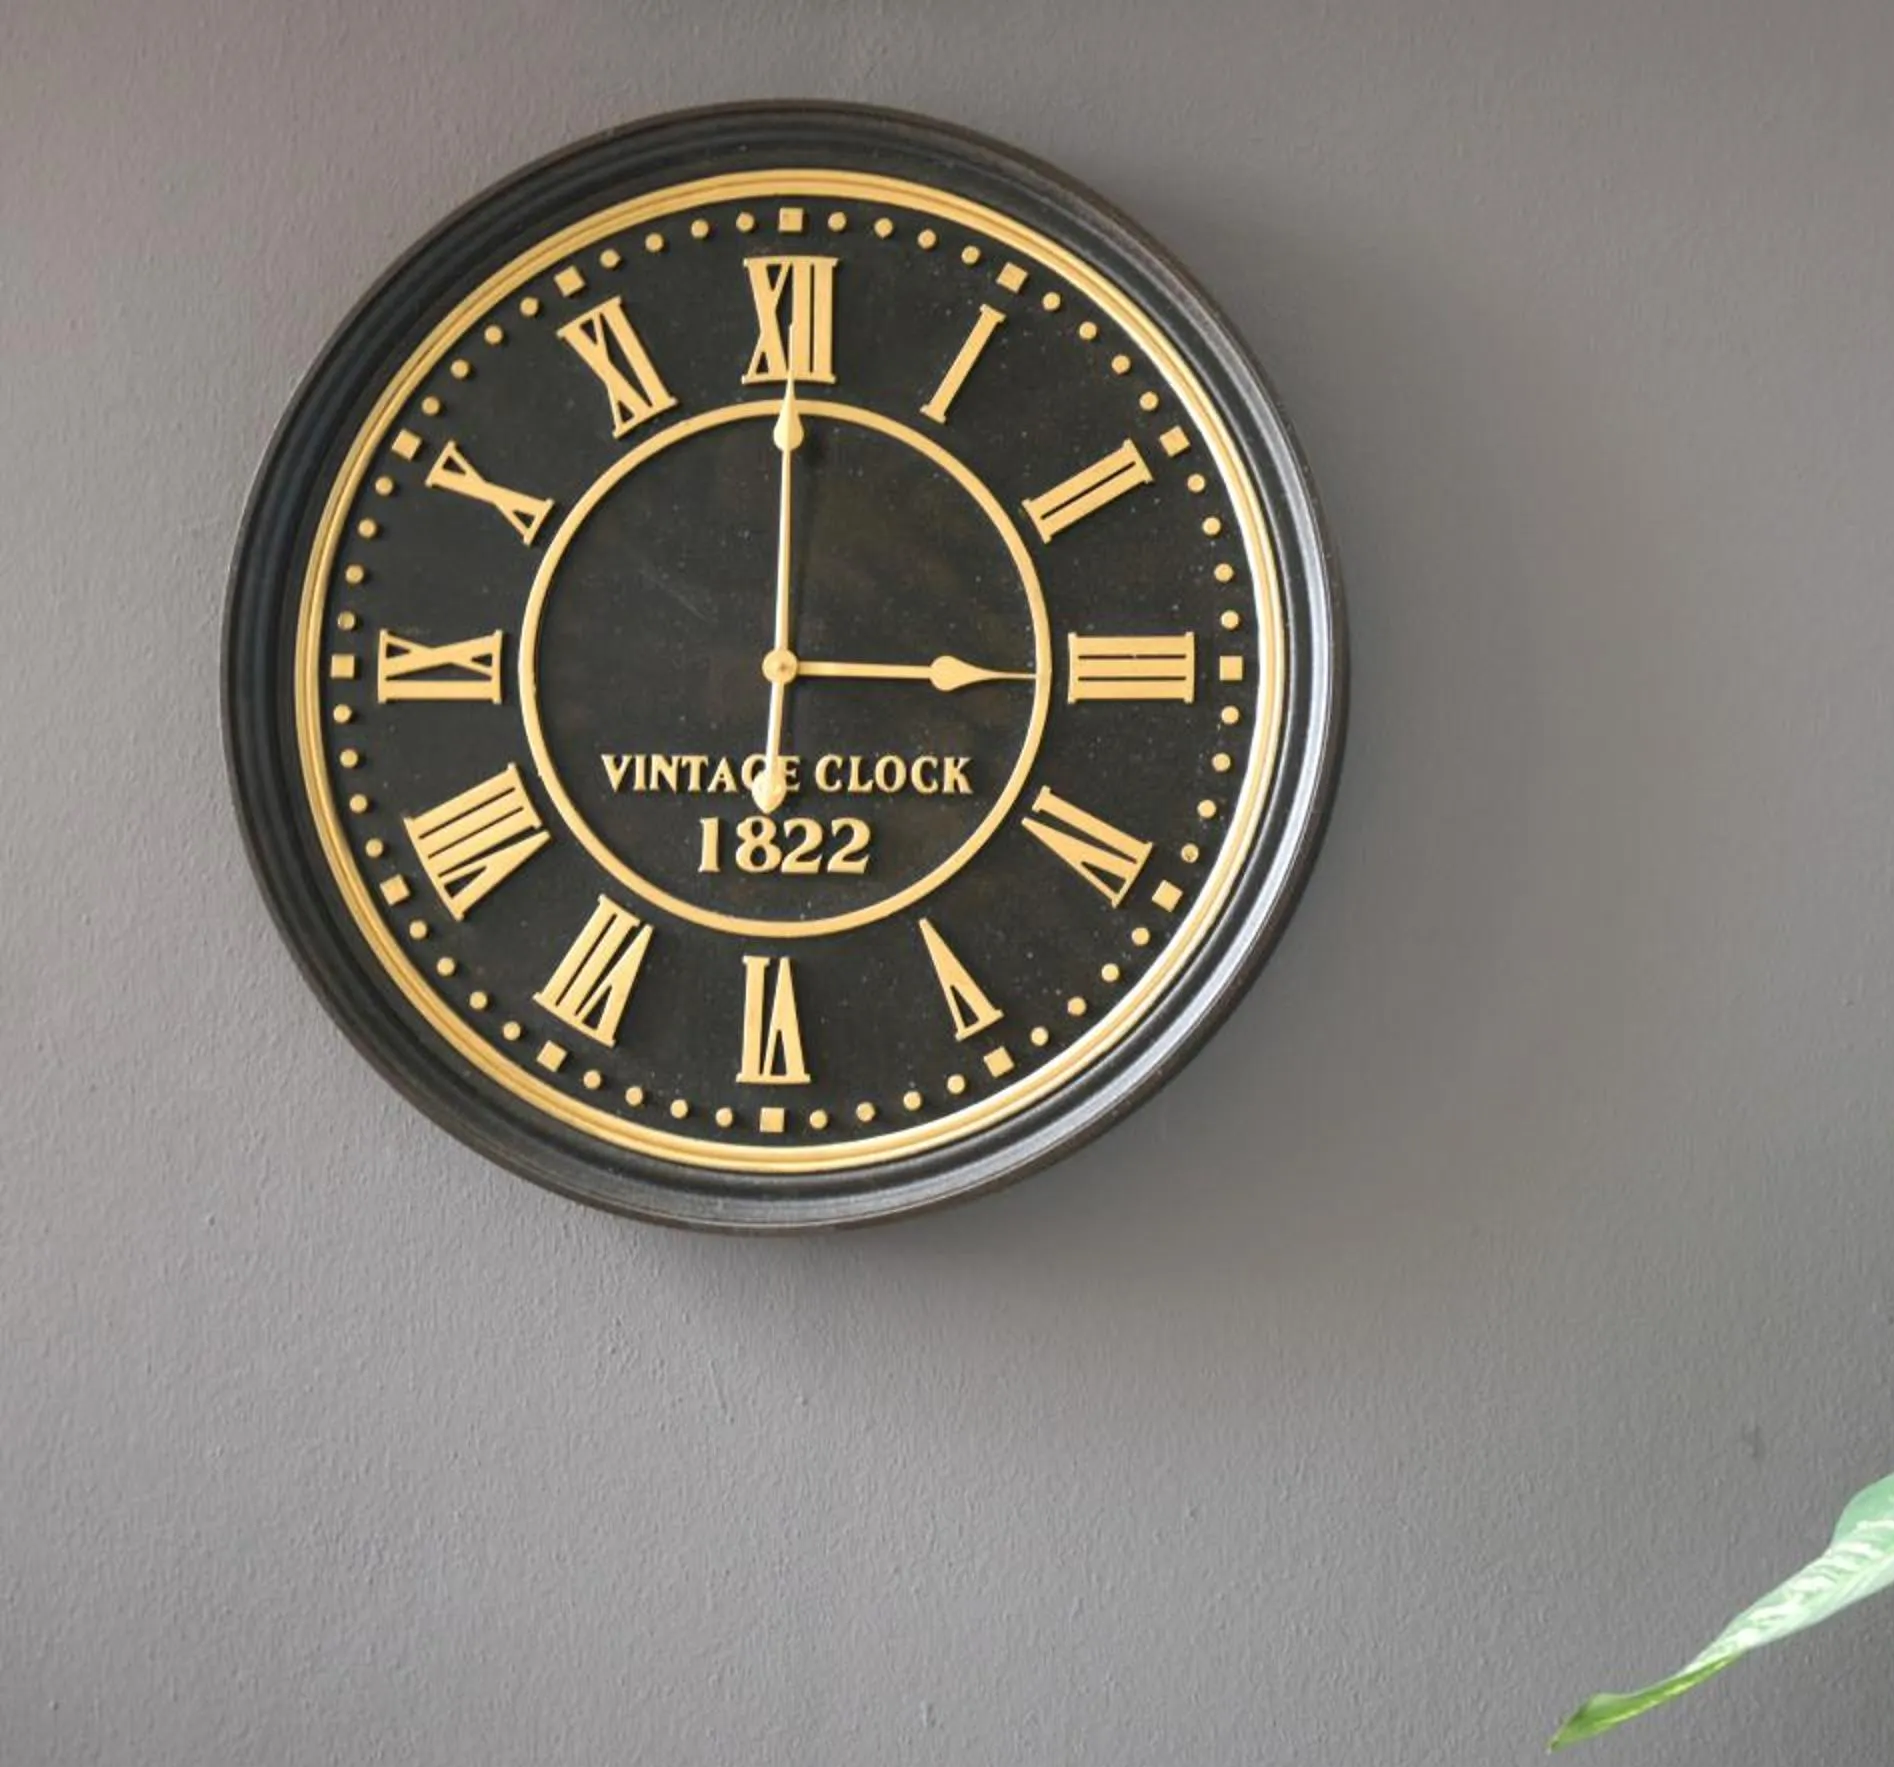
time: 3:00
